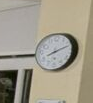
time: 8:11
